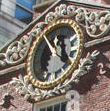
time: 11:52
